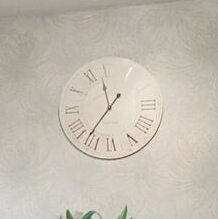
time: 11:36
